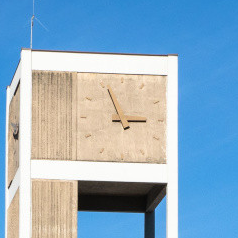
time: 2:55
